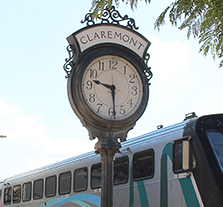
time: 9:28
